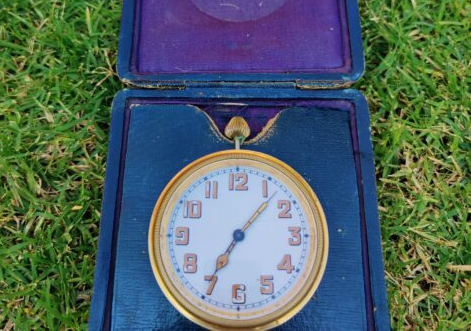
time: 7:07
